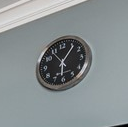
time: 6:06
